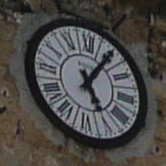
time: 5:05
